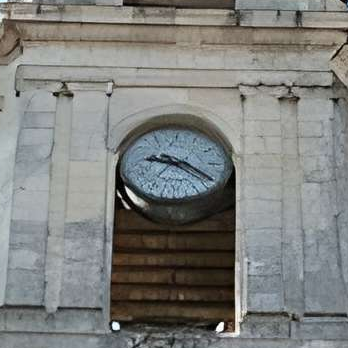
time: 9:20
